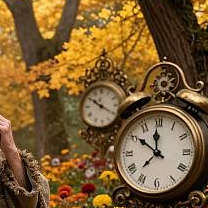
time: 11:50
